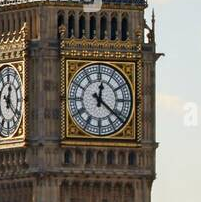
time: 12:21
